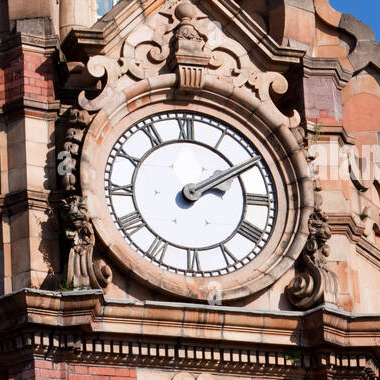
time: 2:09
